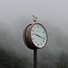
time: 9:17
